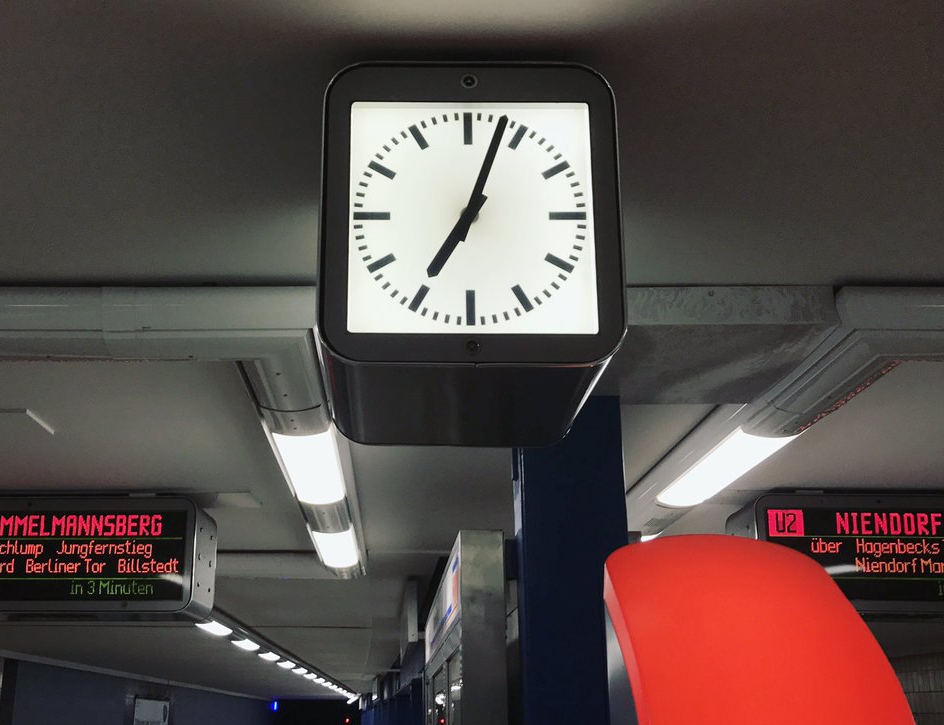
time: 7:03
